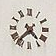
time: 4:37
